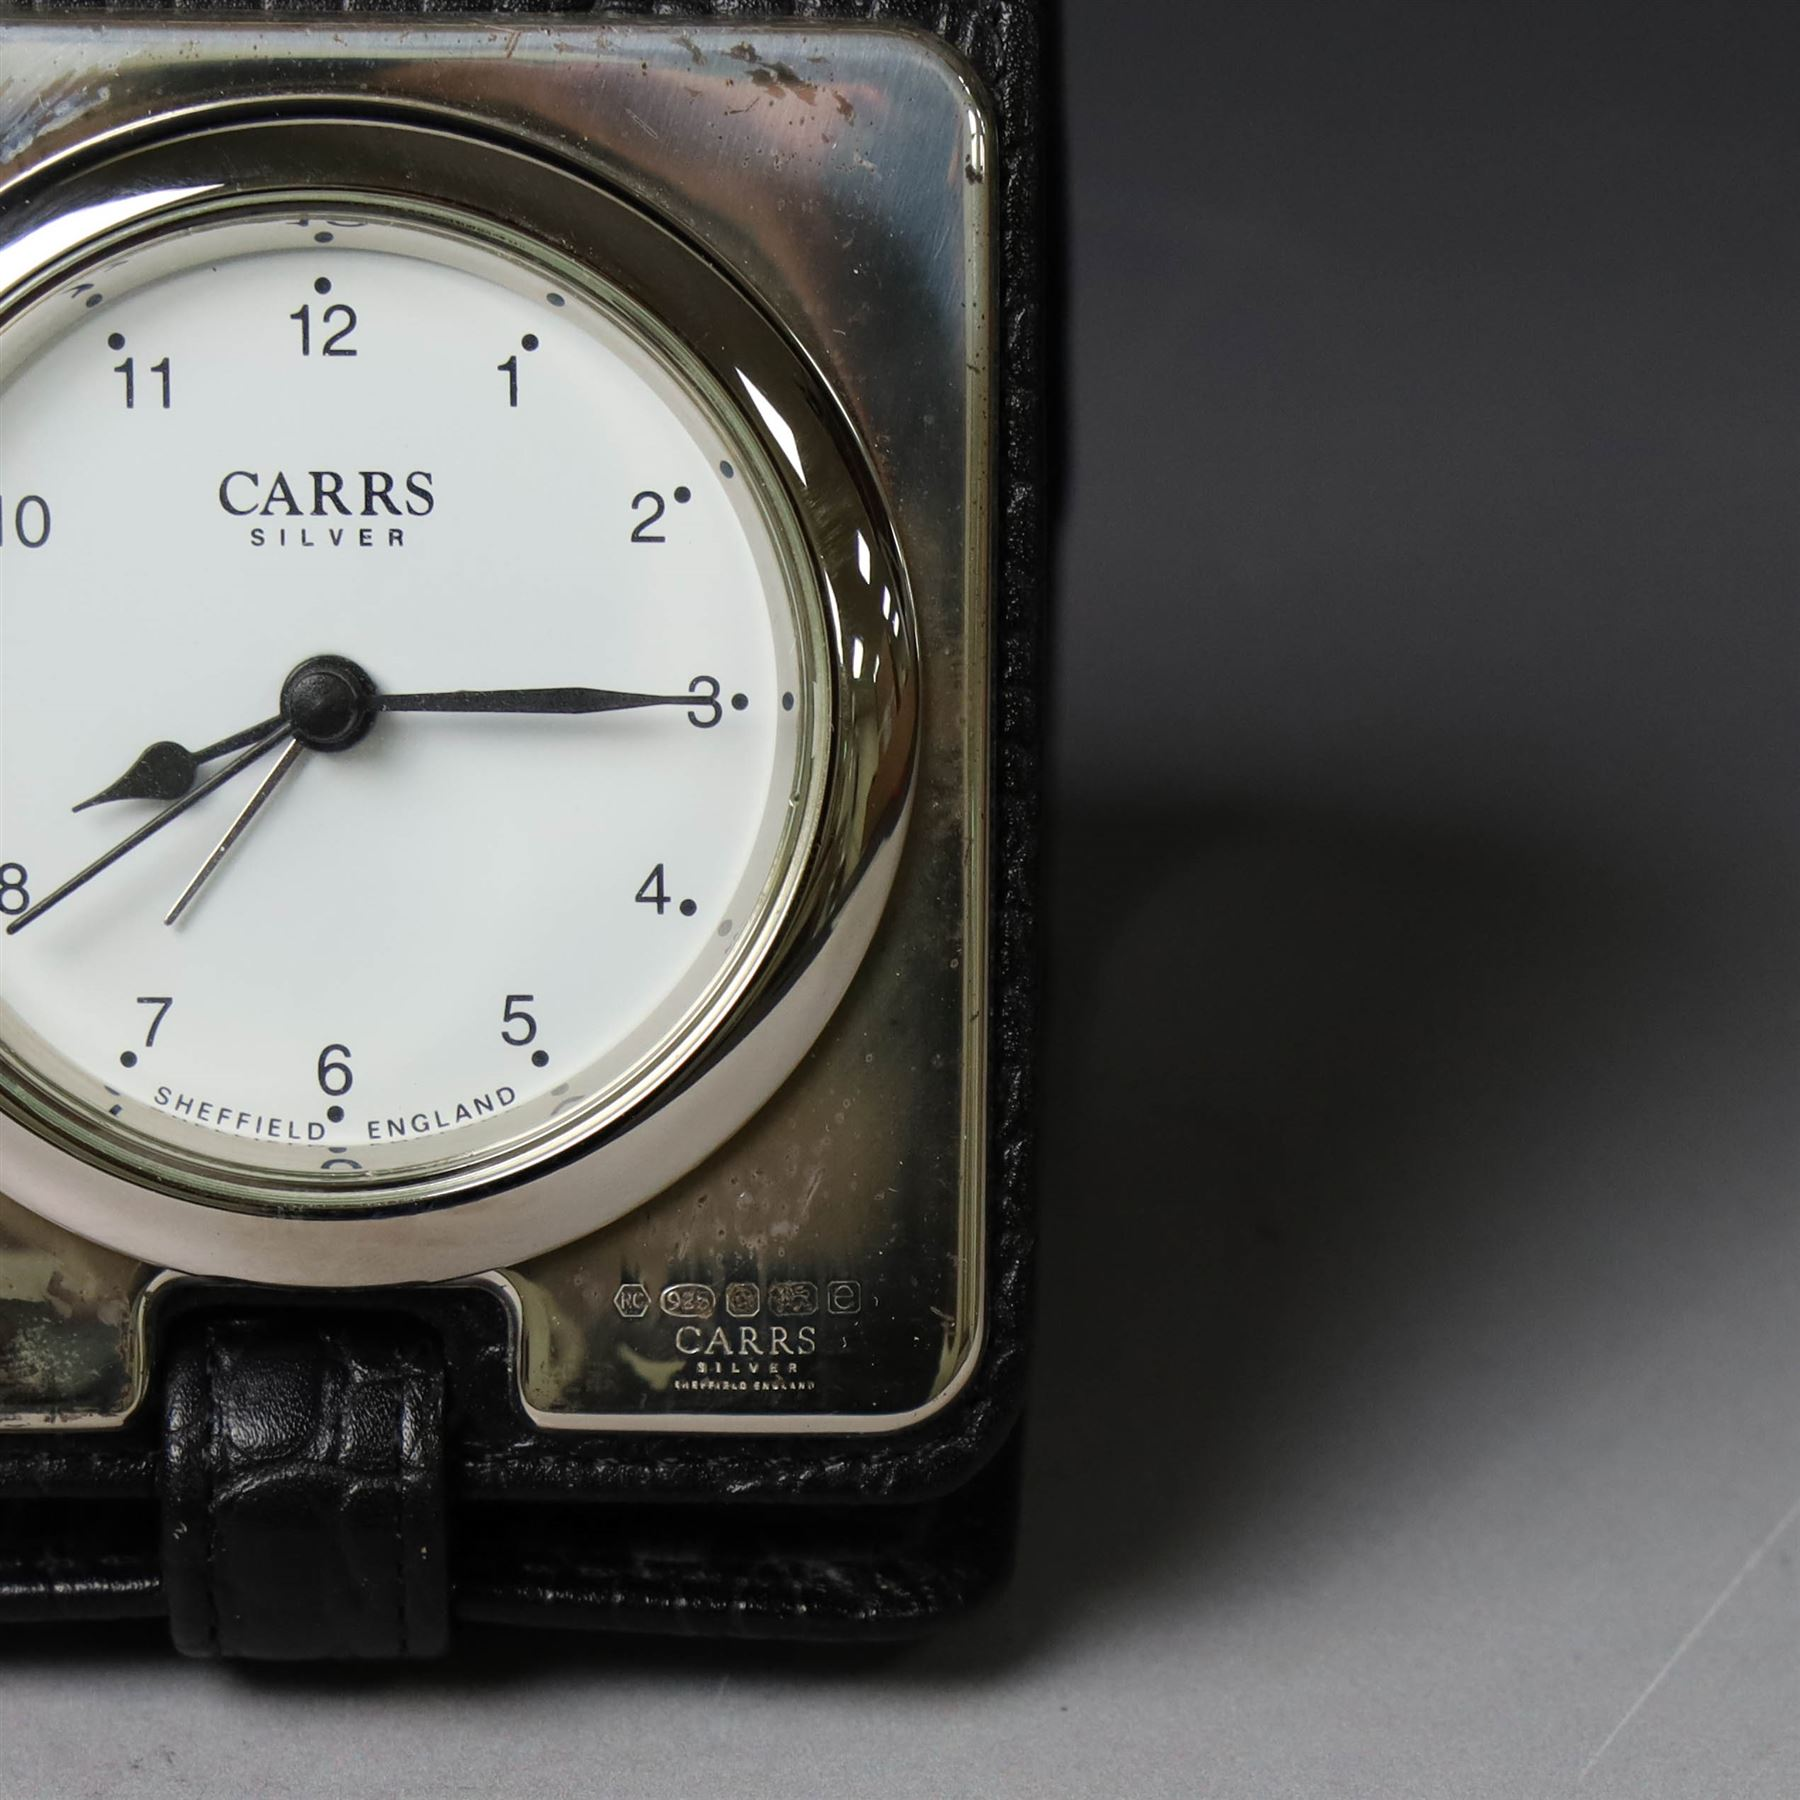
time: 8:15
